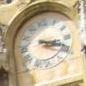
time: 3:18
